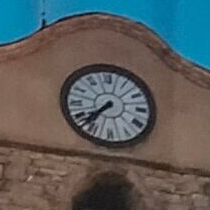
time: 7:37
